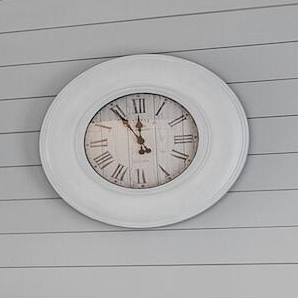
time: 11:54
